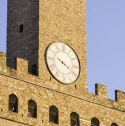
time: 3:48
